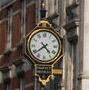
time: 4:38
